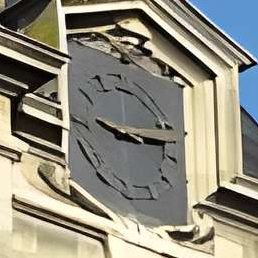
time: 9:13
